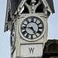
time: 4:46
